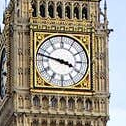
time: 3:47
